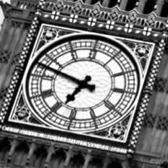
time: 6:47
